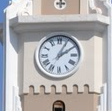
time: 2:04
